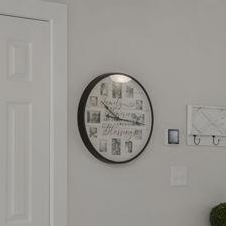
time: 10:16
